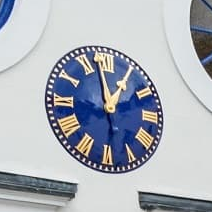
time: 12:58
